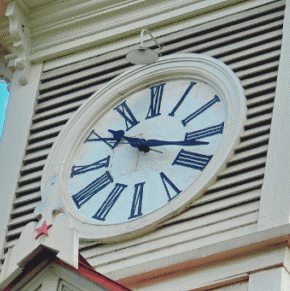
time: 10:17
